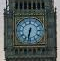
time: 6:32
